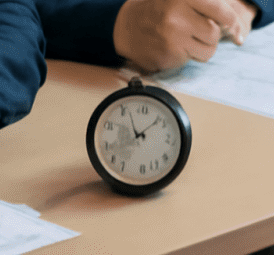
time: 8:07
